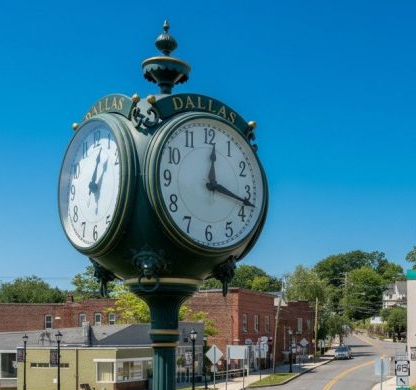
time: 12:17
